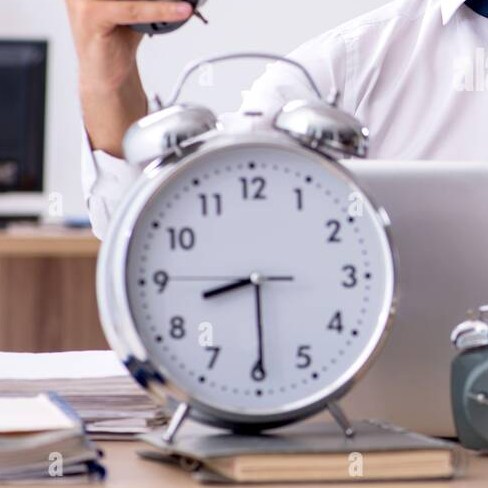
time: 8:29
